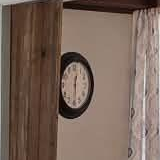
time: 12:28
